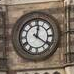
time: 12:21
